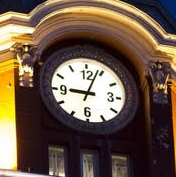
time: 9:03
